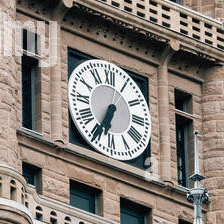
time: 6:34
